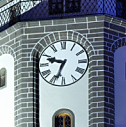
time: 9:33
